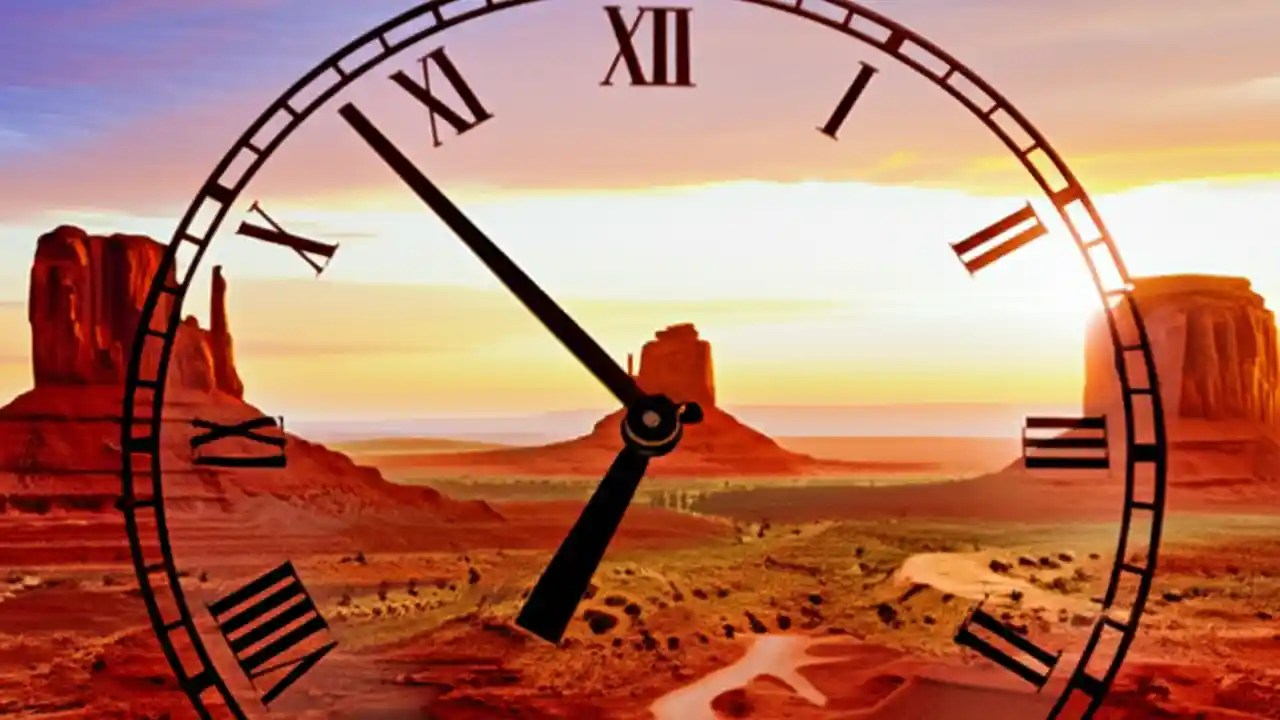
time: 6:53
